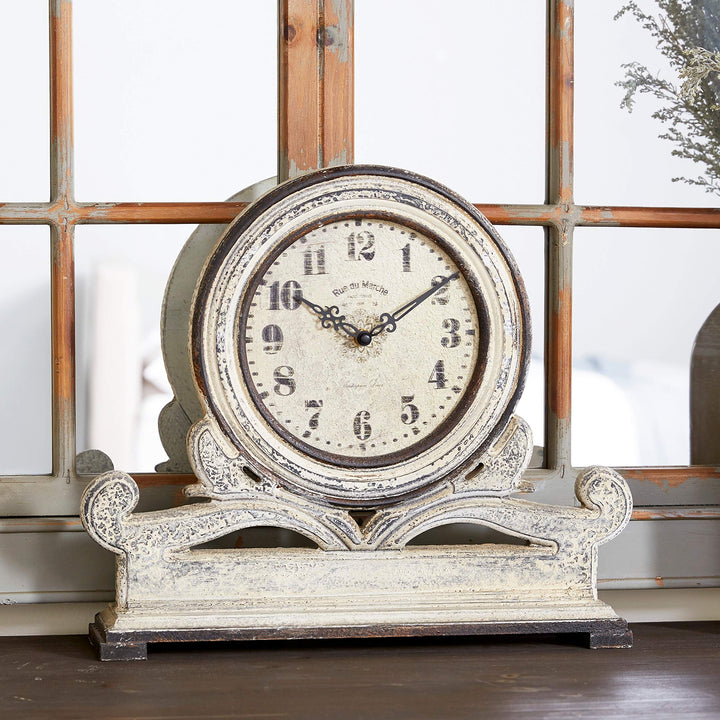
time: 10:09
